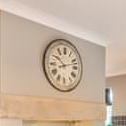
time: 10:12
